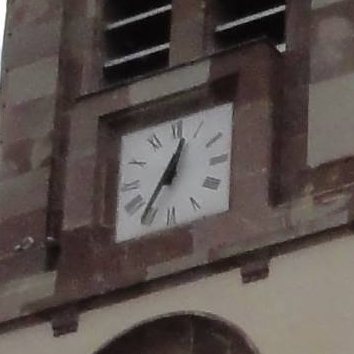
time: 12:35
